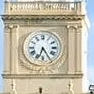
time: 6:24
